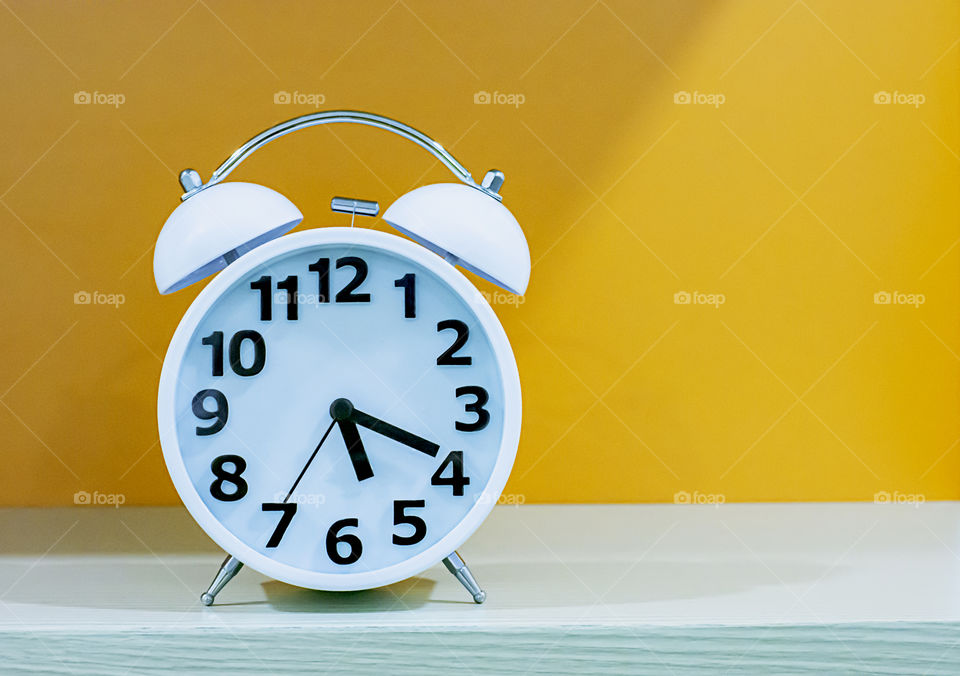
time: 5:19
